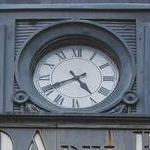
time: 4:40
